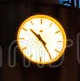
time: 10:24
